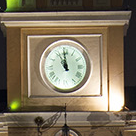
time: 10:58
